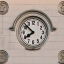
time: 7:52
